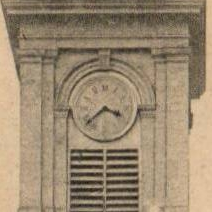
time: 3:38
